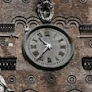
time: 10:36
